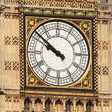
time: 9:51
